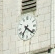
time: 4:35
